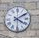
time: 4:09
